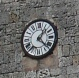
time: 1:22
